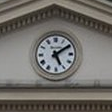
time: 5:09
